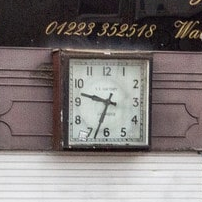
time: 9:33
